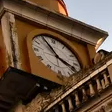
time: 3:54
